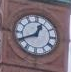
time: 12:40
